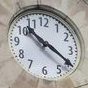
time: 10:20
